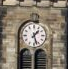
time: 1:27
